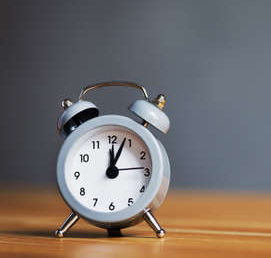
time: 12:03
